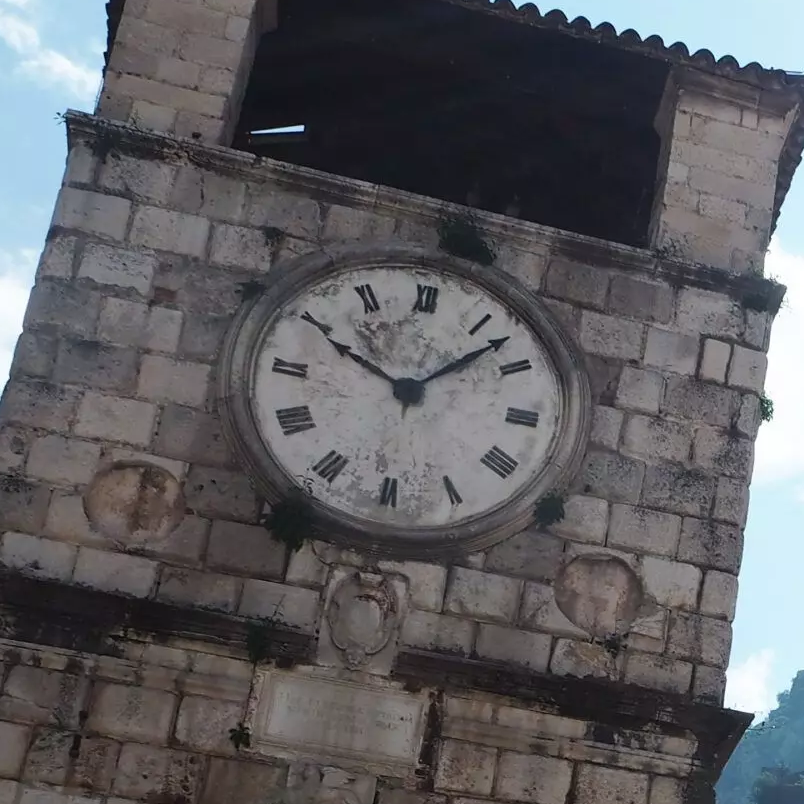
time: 10:07
